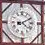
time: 4:10
